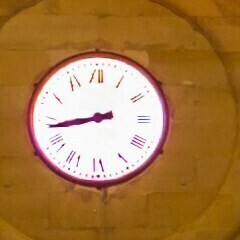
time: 8:43
